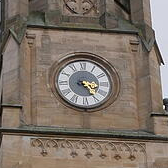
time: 3:24
